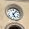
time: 5:06
